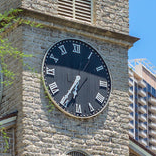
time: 6:35
